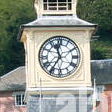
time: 11:35
